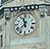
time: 11:37
